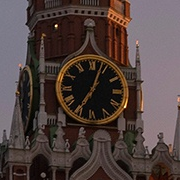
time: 7:03
